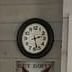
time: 2:27
